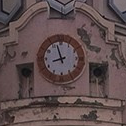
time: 8:57
